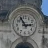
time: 2:54
